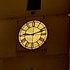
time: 9:11
